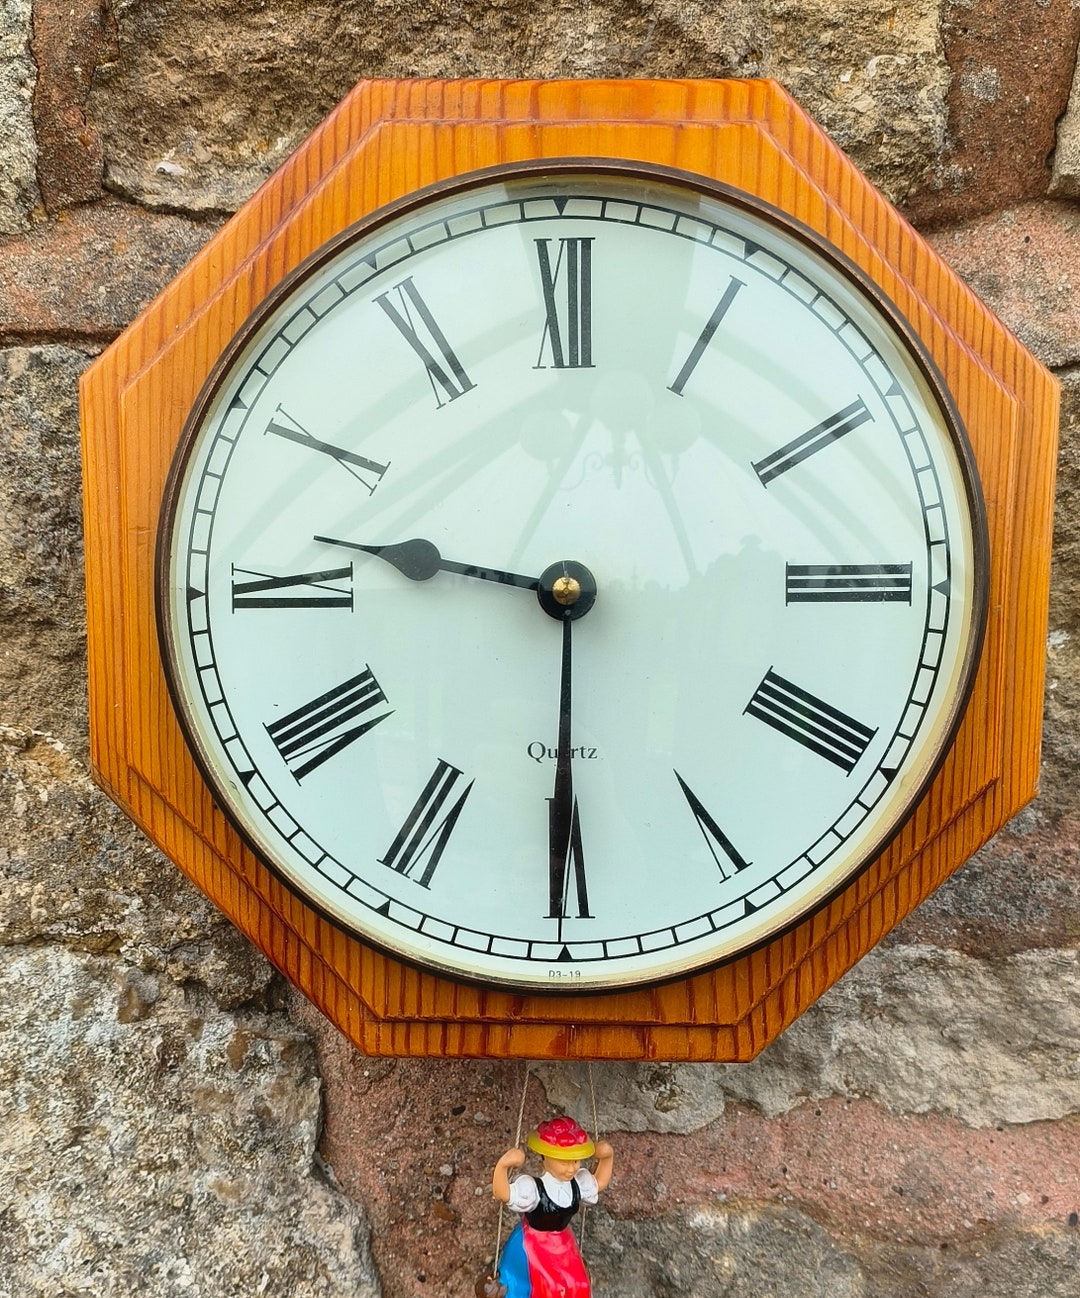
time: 9:30
